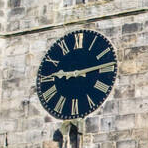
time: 9:13
